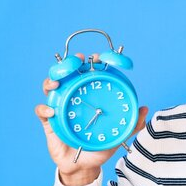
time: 7:37
